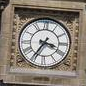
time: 3:35
